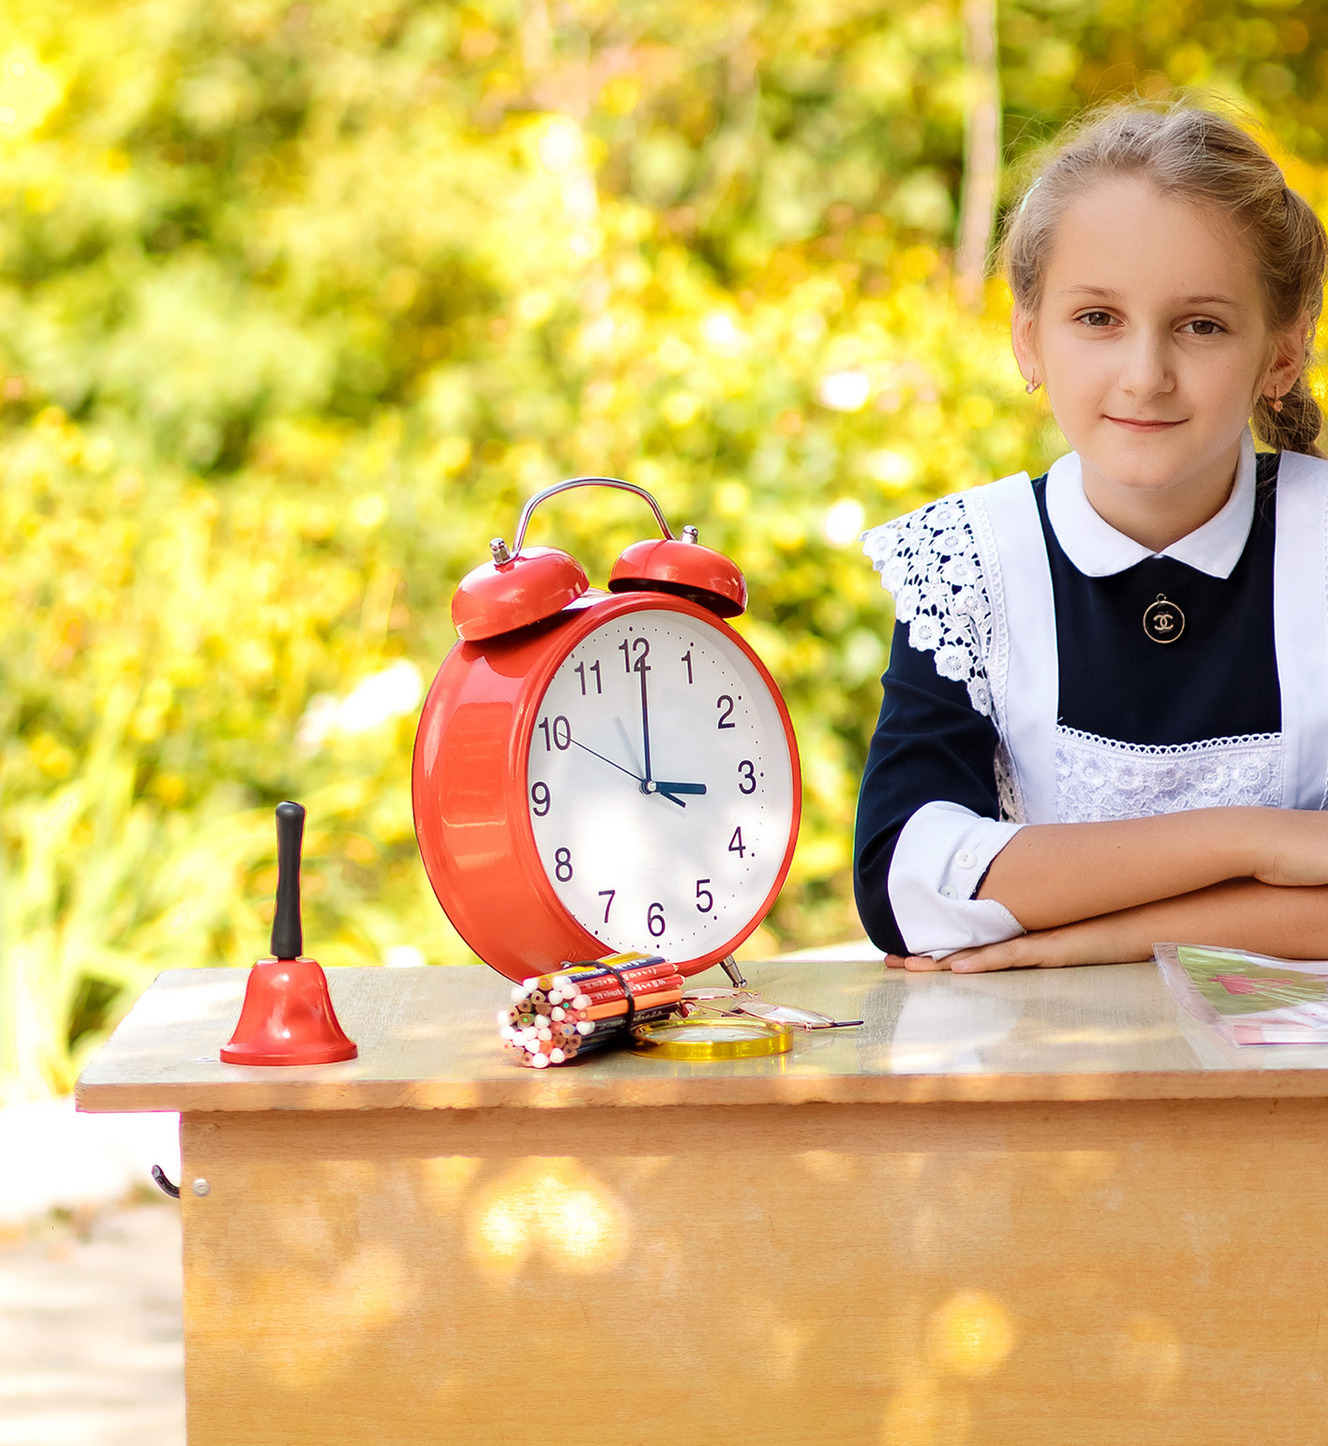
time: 3:00
